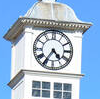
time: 4:35
